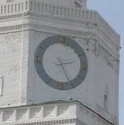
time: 2:25
